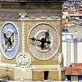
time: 12:46
